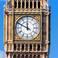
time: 11:49
